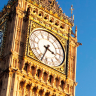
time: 3:33
